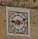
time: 9:11
